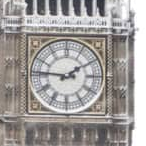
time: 1:46
